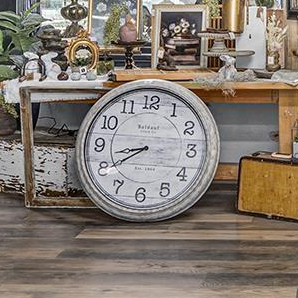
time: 8:39
